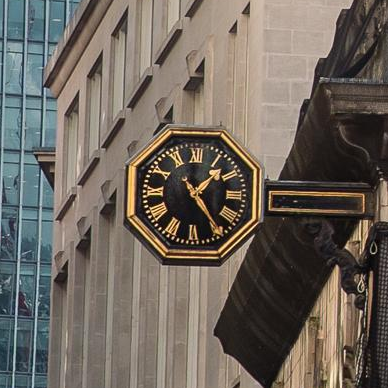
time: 1:24
